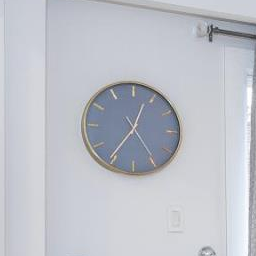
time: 12:35
